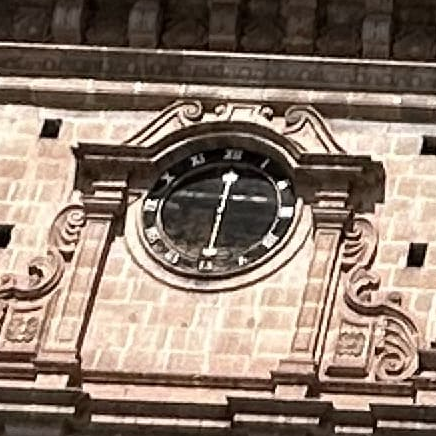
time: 6:00
